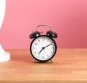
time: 7:10
